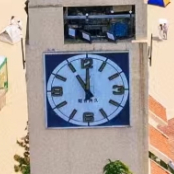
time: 11:00
